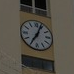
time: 7:03
